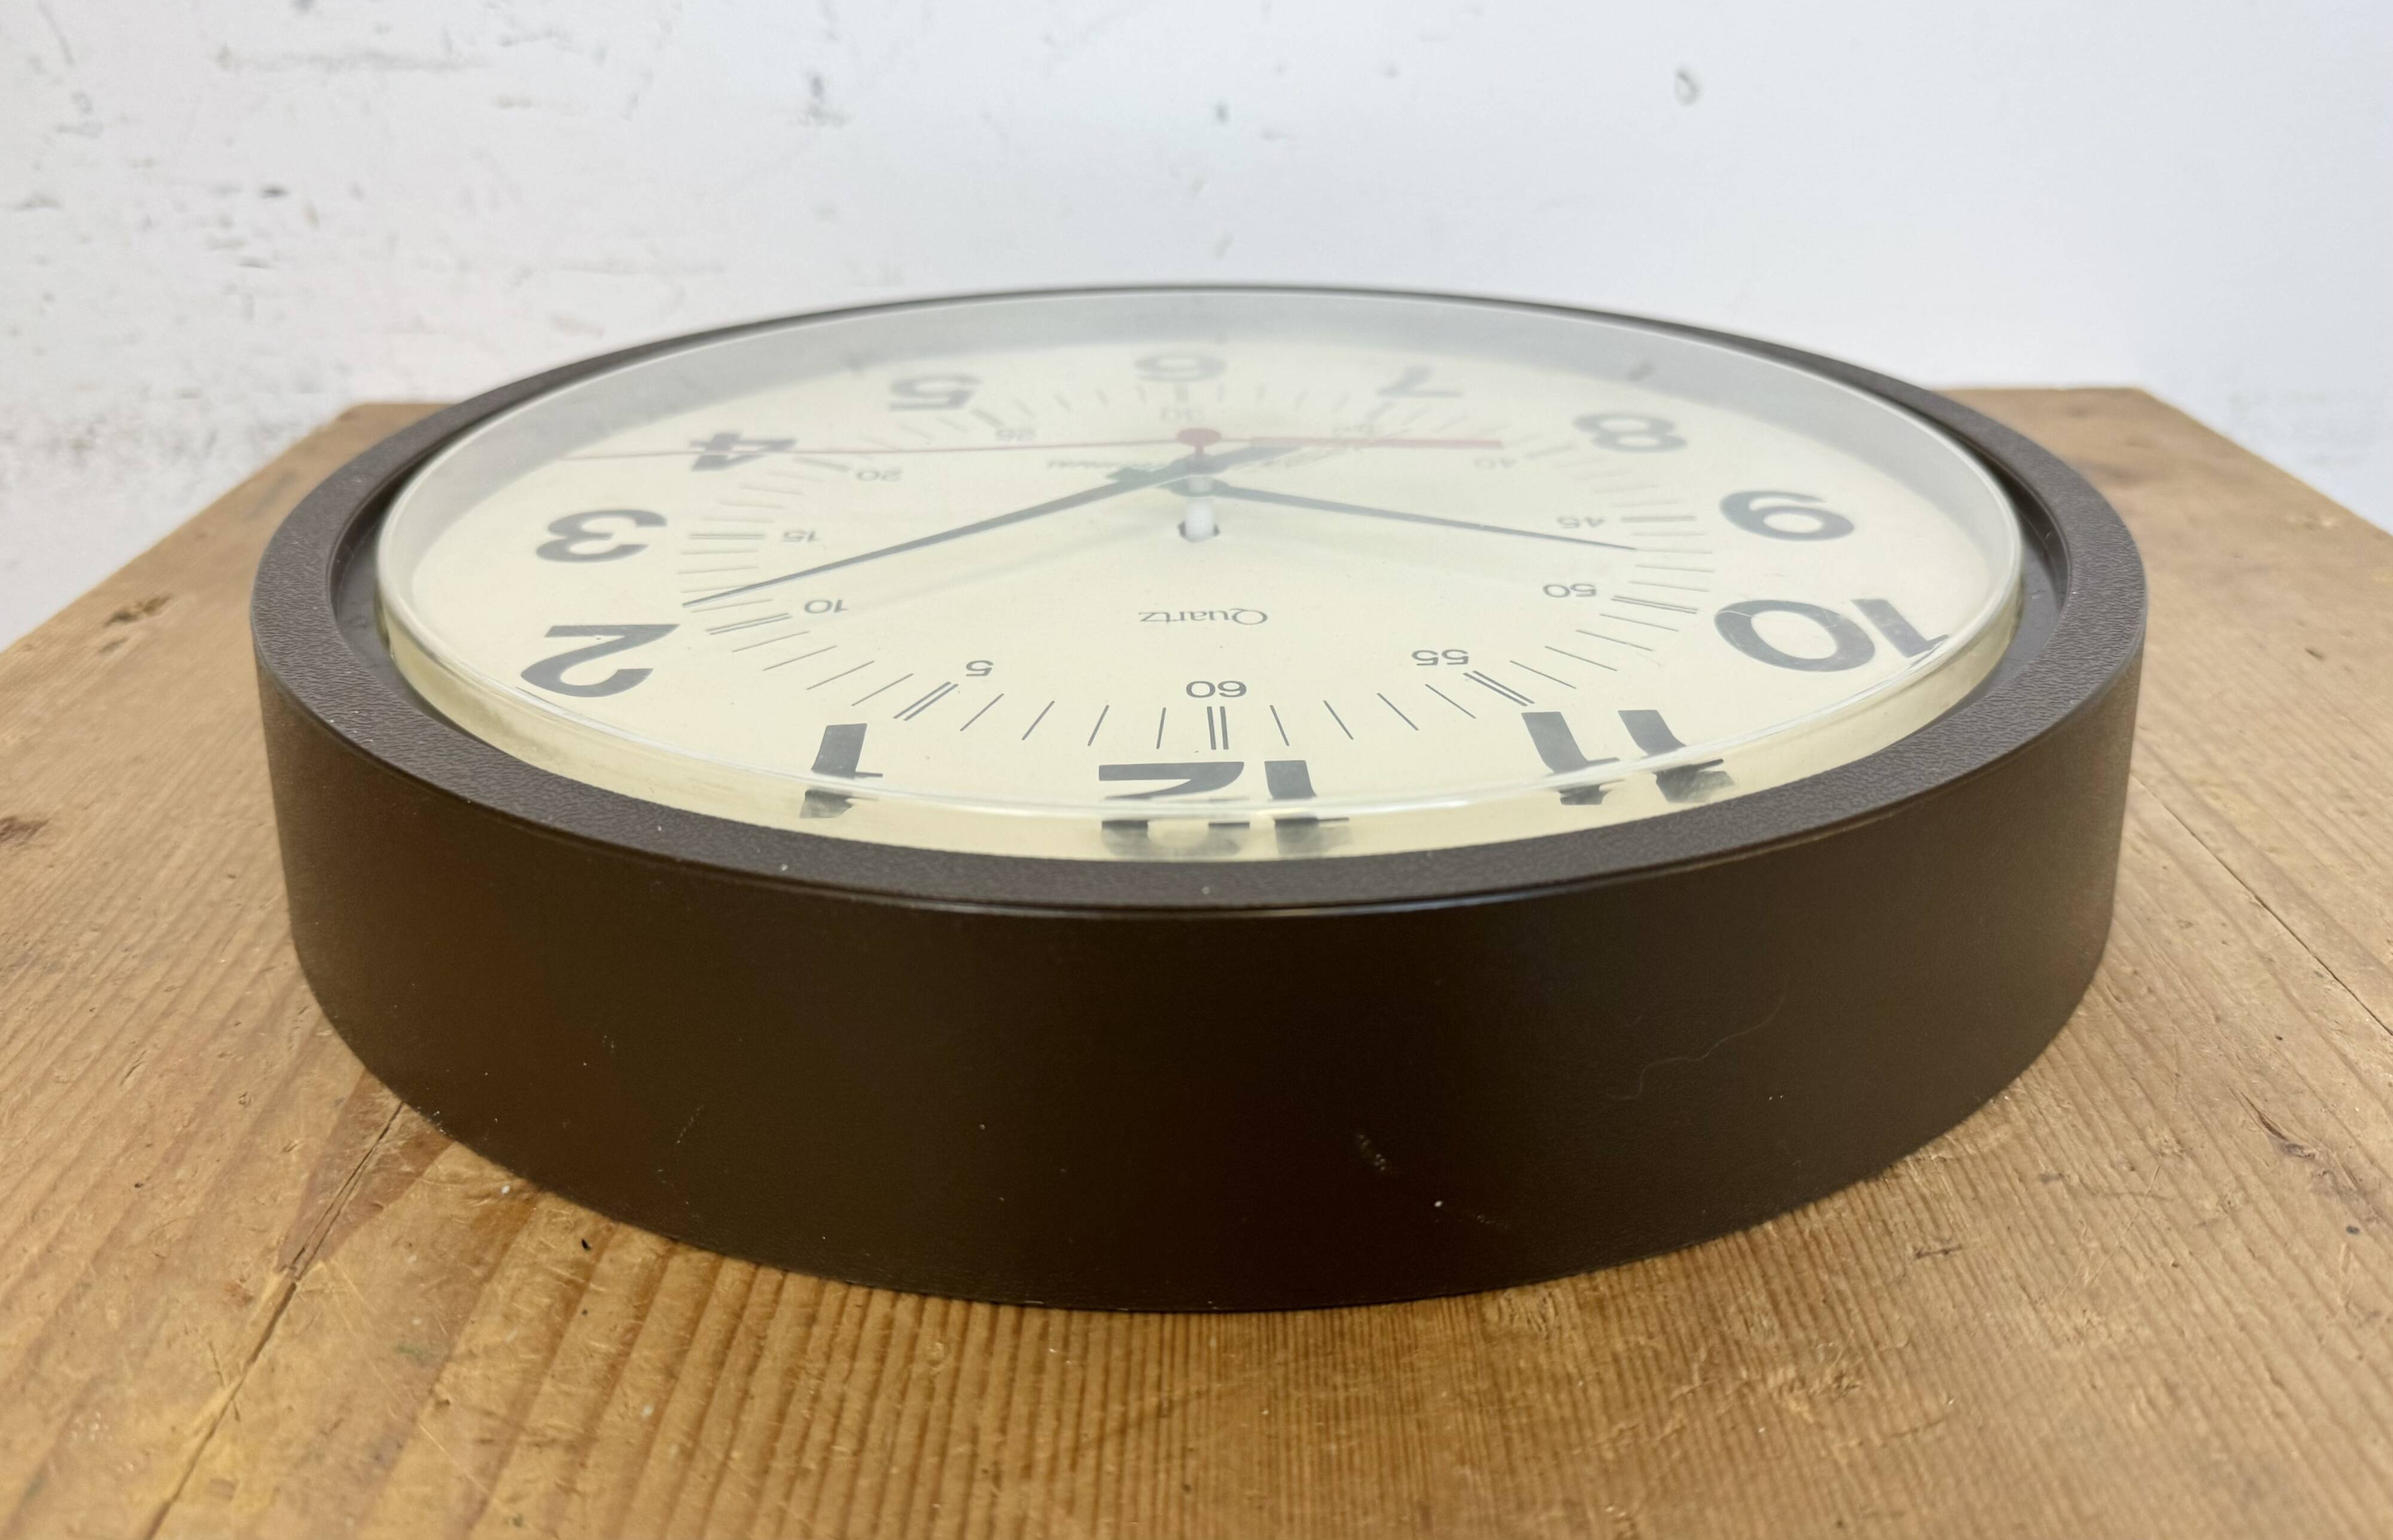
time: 3:40
